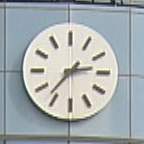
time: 2:36
